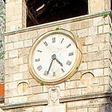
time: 4:33
